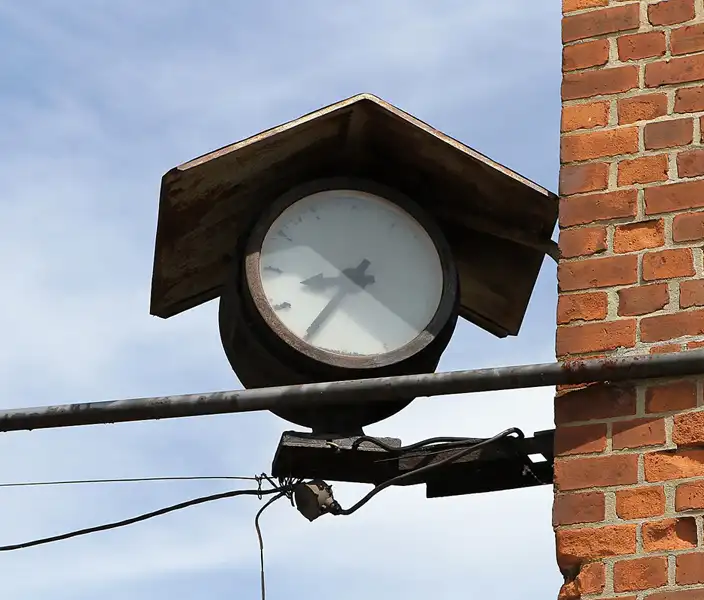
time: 8:35
